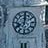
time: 8:01
